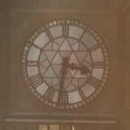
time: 3:32
